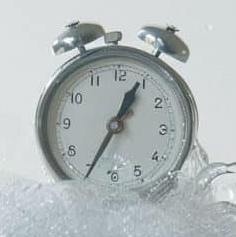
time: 12:34
